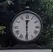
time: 12:29
